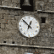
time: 12:52
